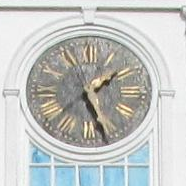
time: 1:26
